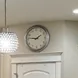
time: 1:46
